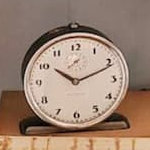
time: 10:11
